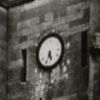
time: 5:34
